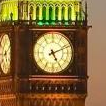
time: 5:11
